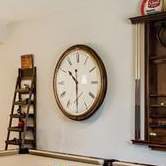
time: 10:29
